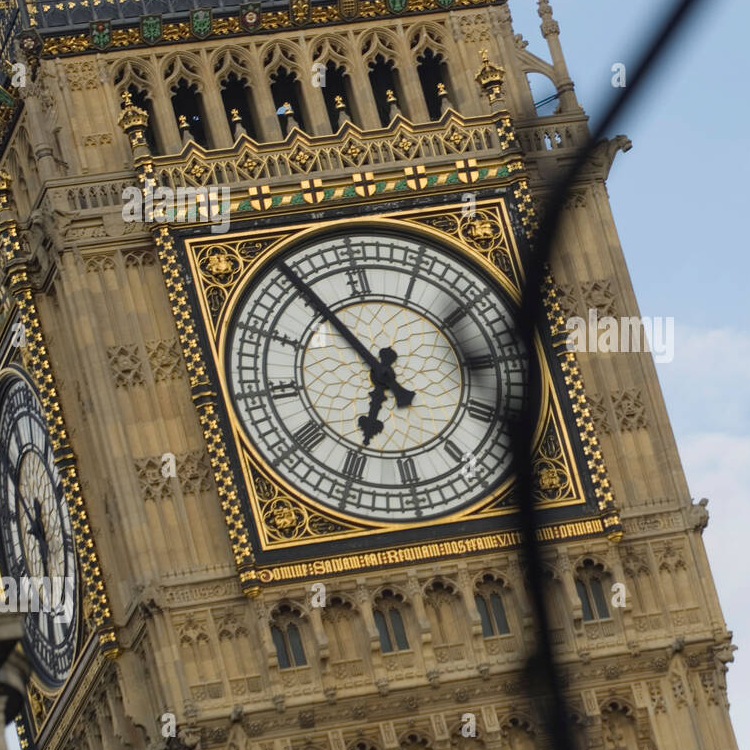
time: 6:54
